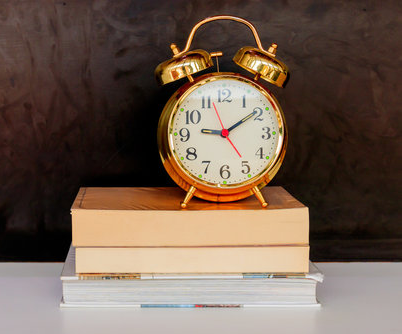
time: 9:09
